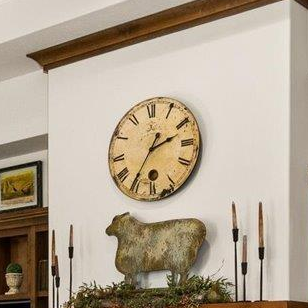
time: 2:35
